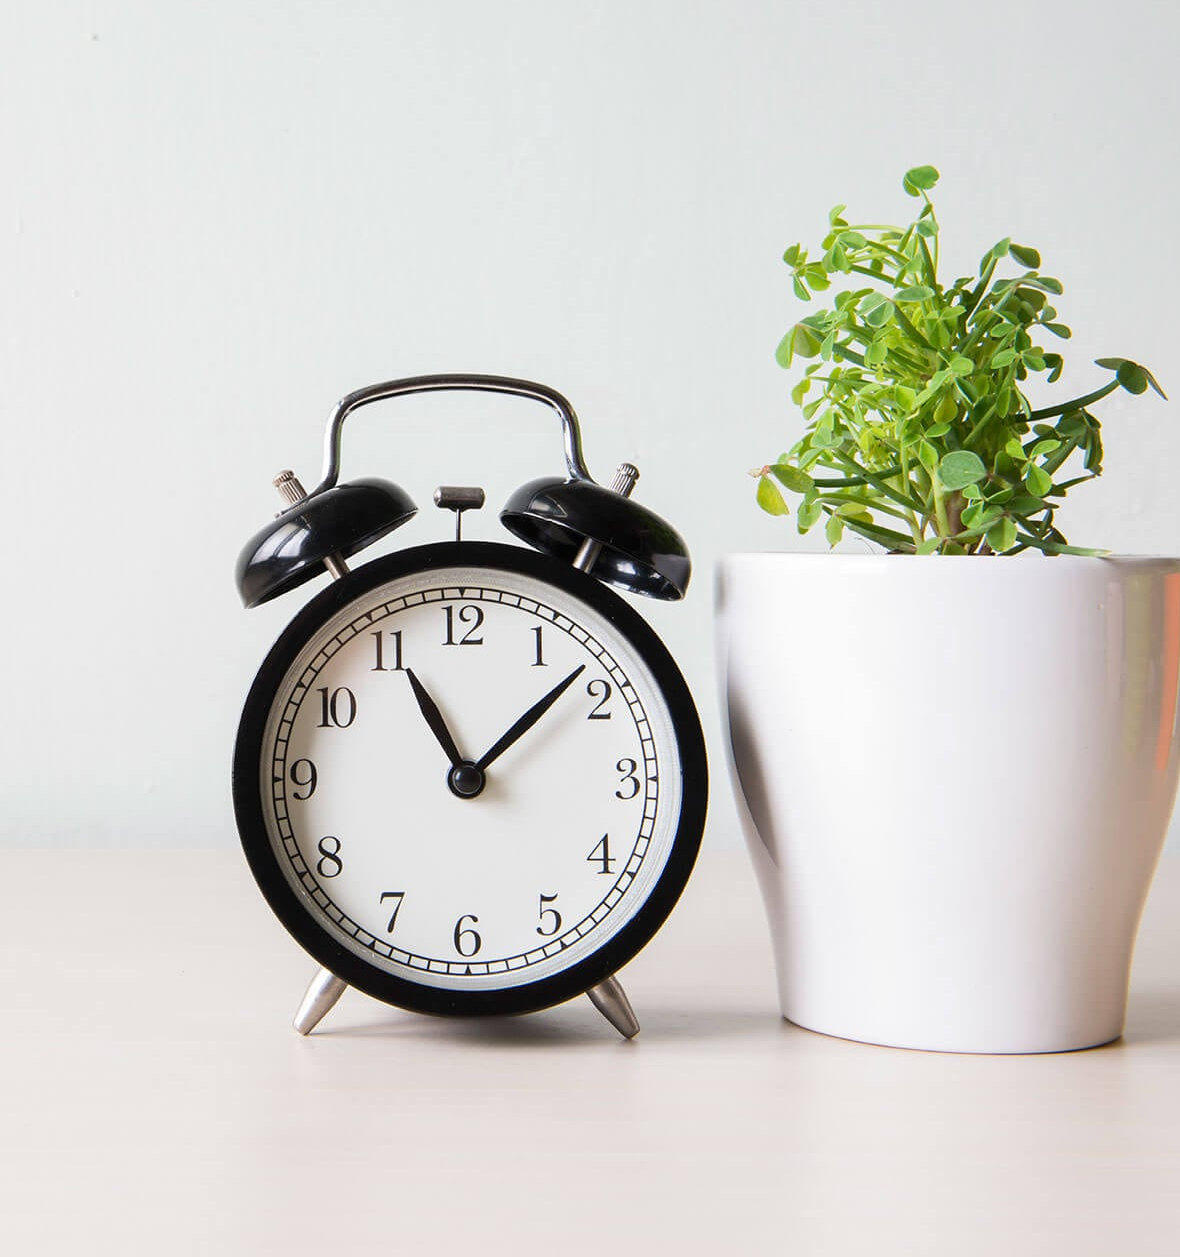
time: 11:08
